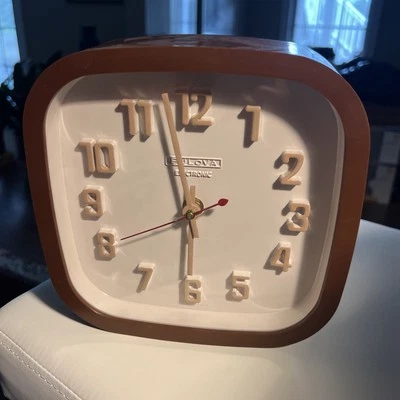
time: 1:57
